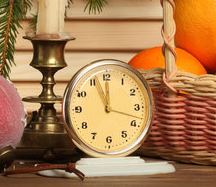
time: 11:56
